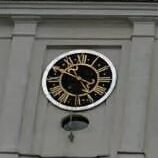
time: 4:49
